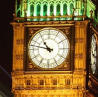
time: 10:47
